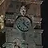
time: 12:22
